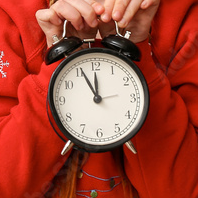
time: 11:55
